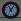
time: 11:06
